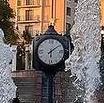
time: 6:08
